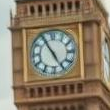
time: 4:54
